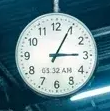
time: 3:04
